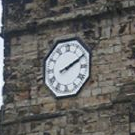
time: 2:10
